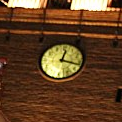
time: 12:17
